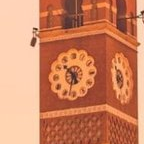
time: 10:32
